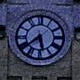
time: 5:38
